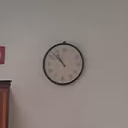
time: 10:52
